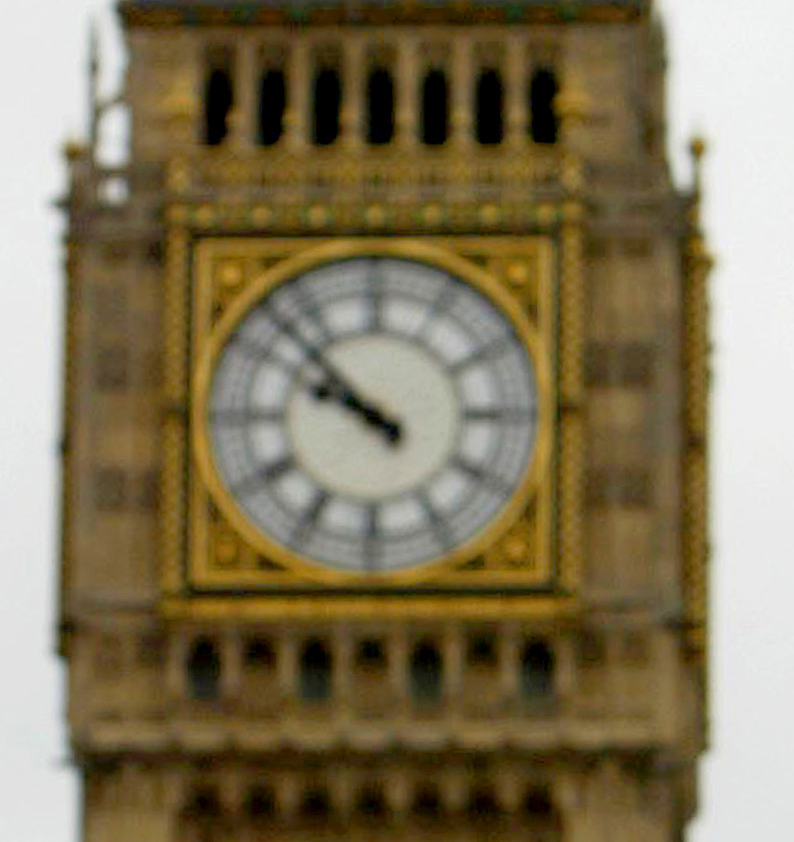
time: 9:52
